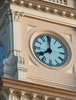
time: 7:59
